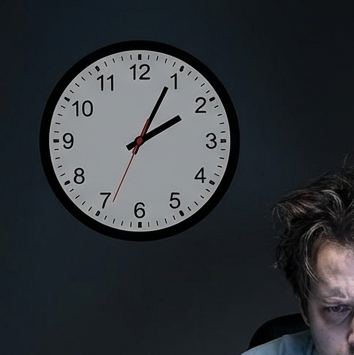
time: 2:04
